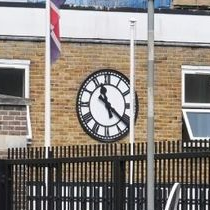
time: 11:21
